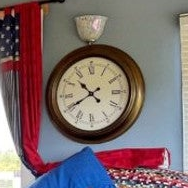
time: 10:40
